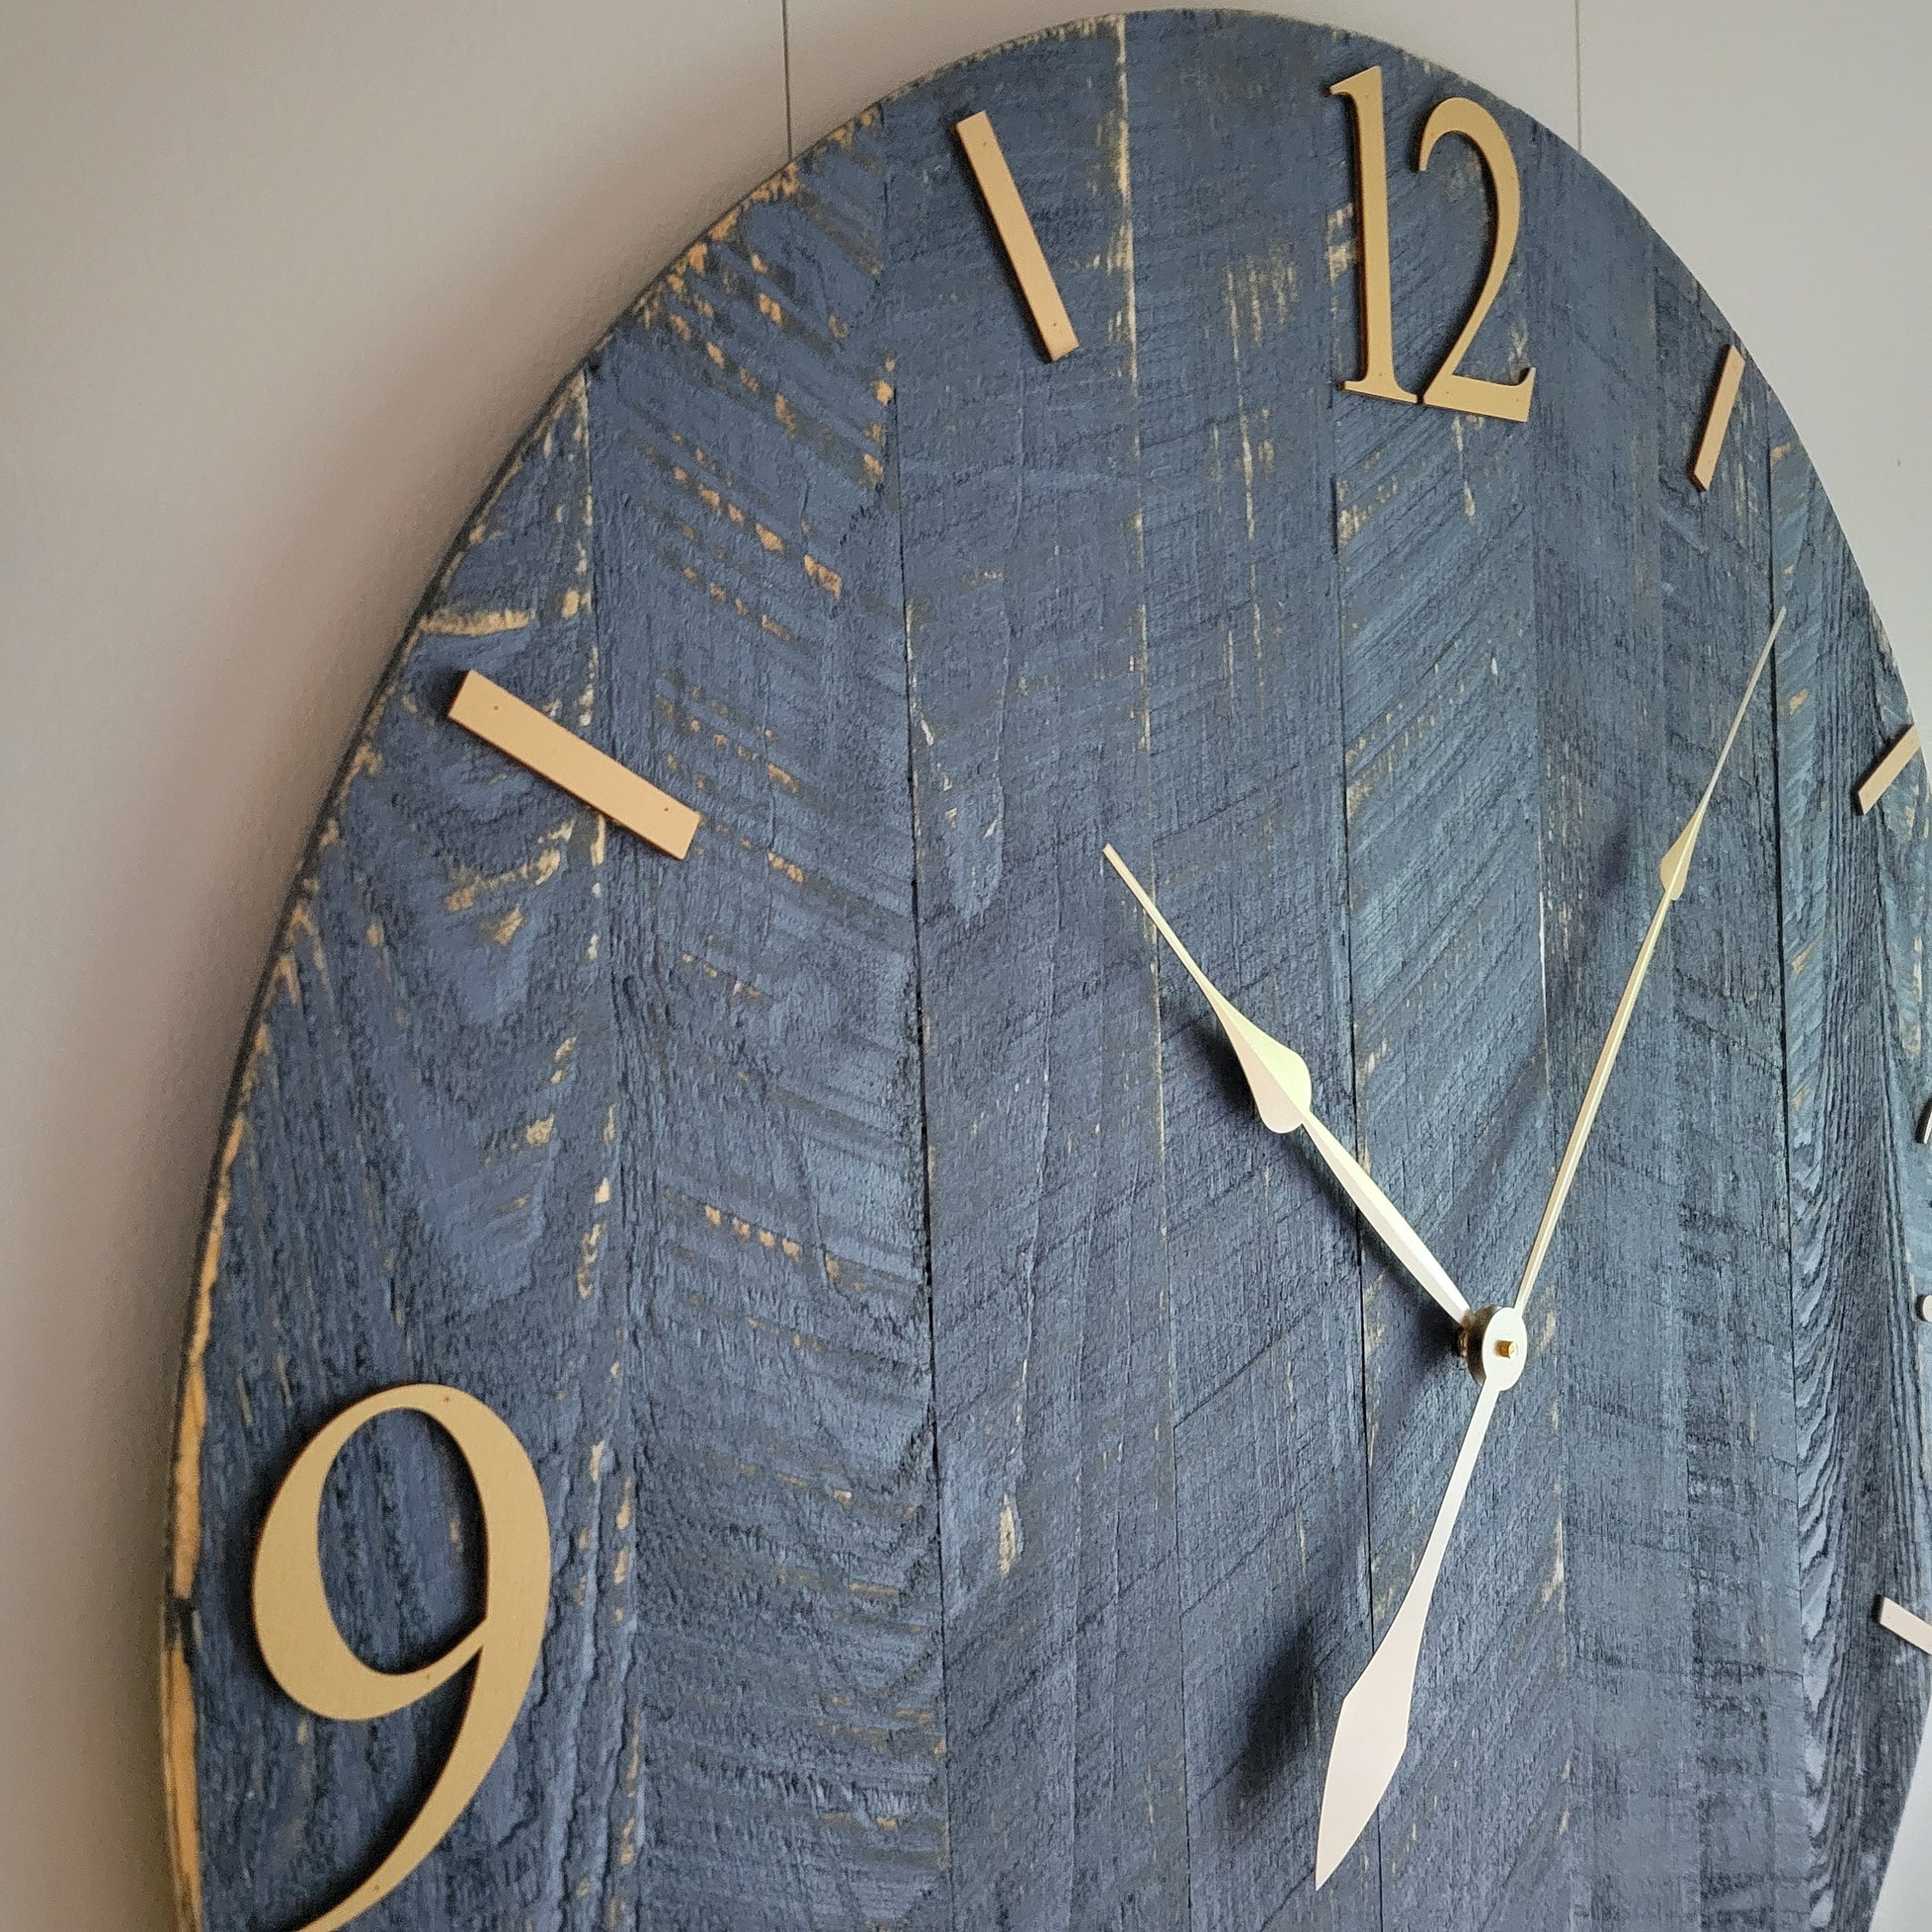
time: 9:49
